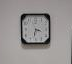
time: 3:32
